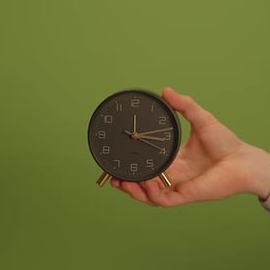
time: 3:12
